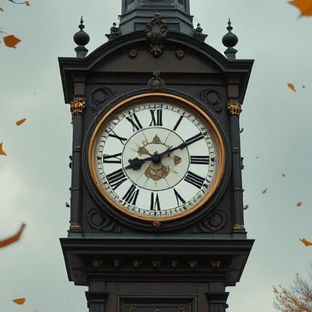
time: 8:10
